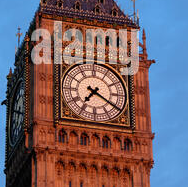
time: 7:20
